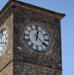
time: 12:21
